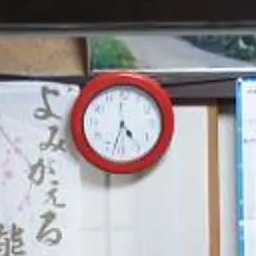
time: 4:32
